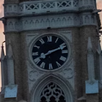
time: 8:11
